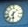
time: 6:07
